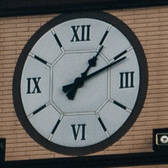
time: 1:10
